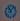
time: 11:07
